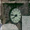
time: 7:46
